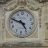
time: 4:48
